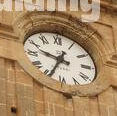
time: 9:34
